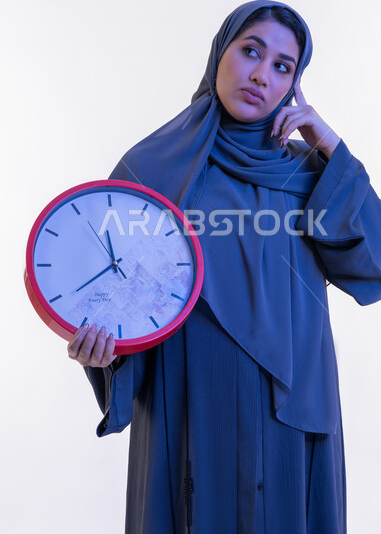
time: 11:39
